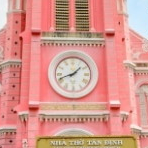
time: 1:41
